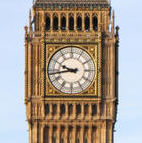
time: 9:43
